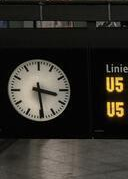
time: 3:29
